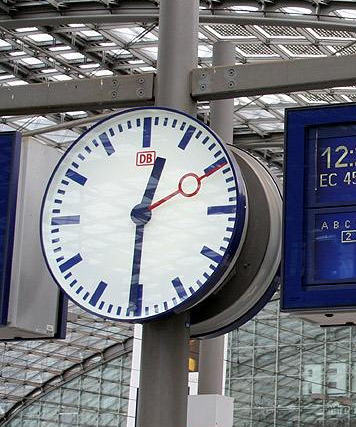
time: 12:30
